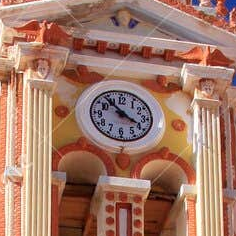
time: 3:52
